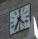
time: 4:35
